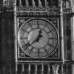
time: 12:38
